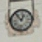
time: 12:53
